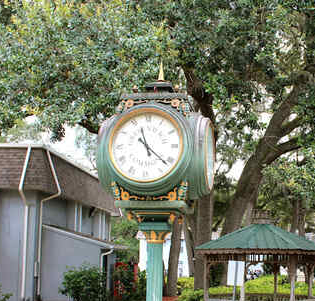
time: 11:21
